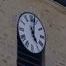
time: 5:02
